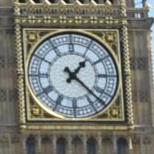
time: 1:22
